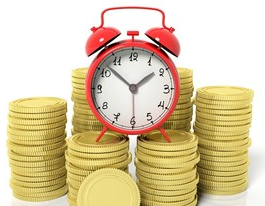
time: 1:52
